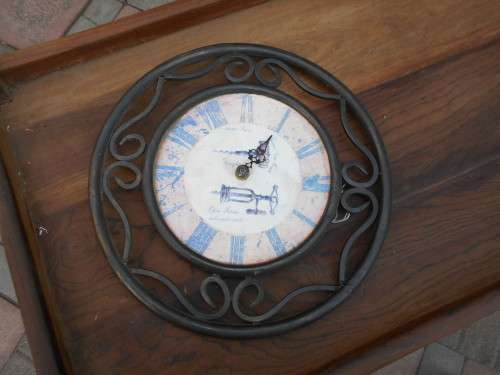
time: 1:05
